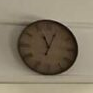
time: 11:03
